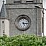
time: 5:15
